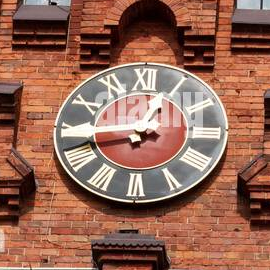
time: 12:43
